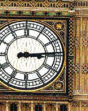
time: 3:14
